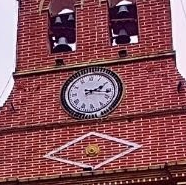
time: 2:16
